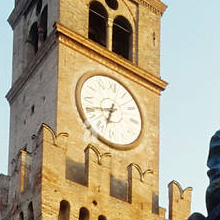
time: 6:41
